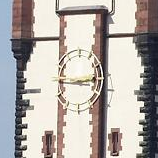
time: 2:46
